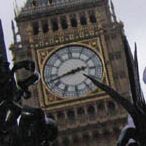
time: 2:42
